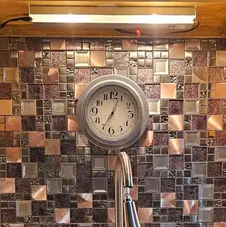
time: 7:03
